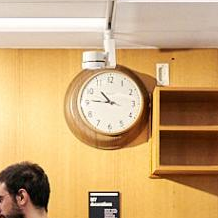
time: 10:45
